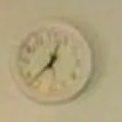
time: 12:37
